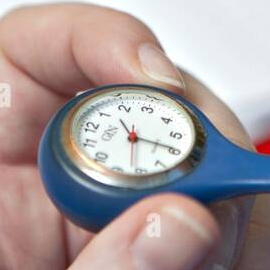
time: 11:19
